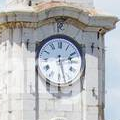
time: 2:27
